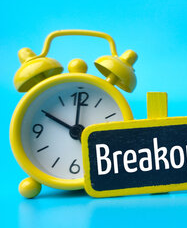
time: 10:00
